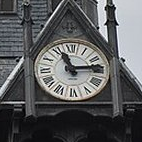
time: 11:13
